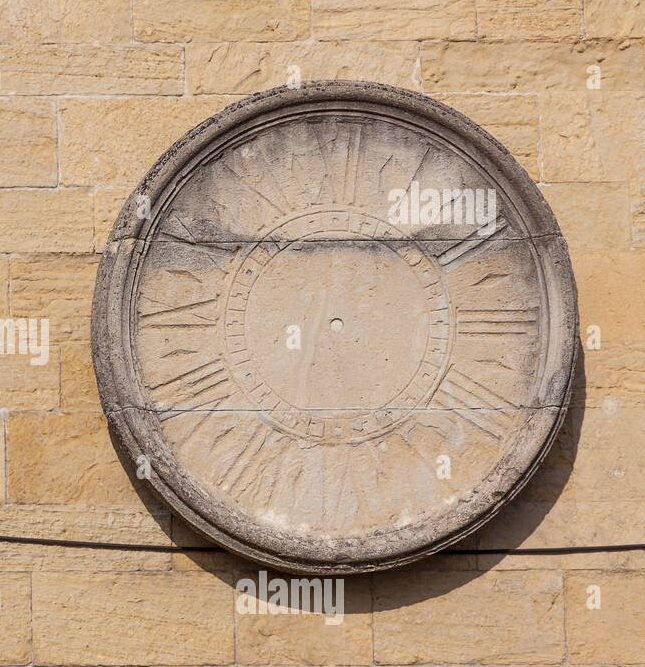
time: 2:44
